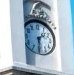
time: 1:30
